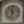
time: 11:32
